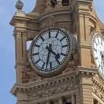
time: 4:32
